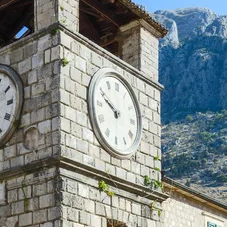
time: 9:48
